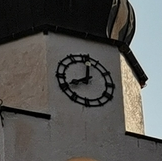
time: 8:01
